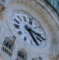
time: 5:18
